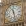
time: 11:28
